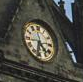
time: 4:32
